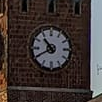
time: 10:40
